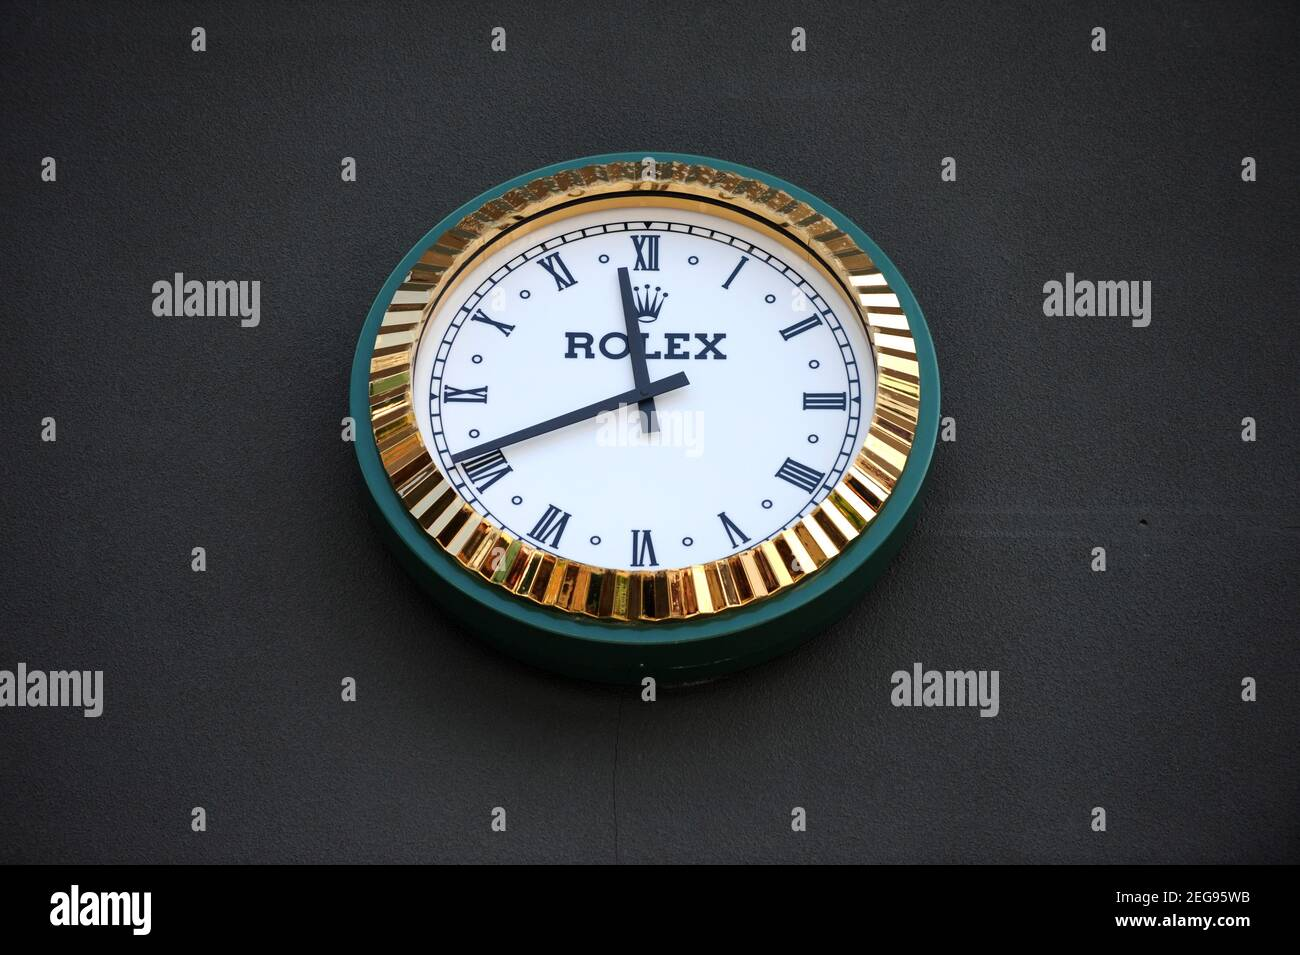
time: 11:40
